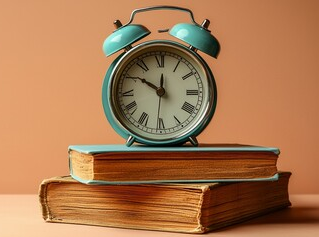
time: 11:50
